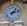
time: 1:12
